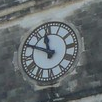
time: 11:49
